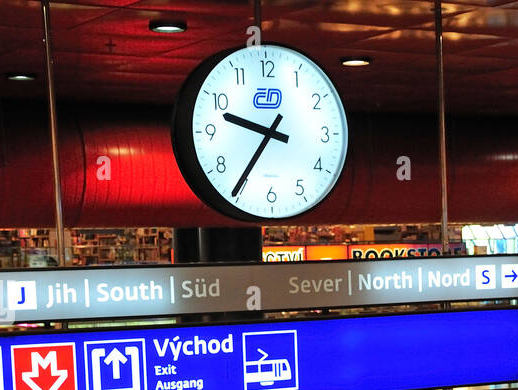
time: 9:35
